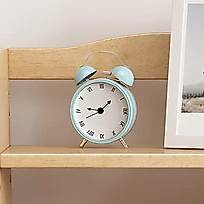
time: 1:41
